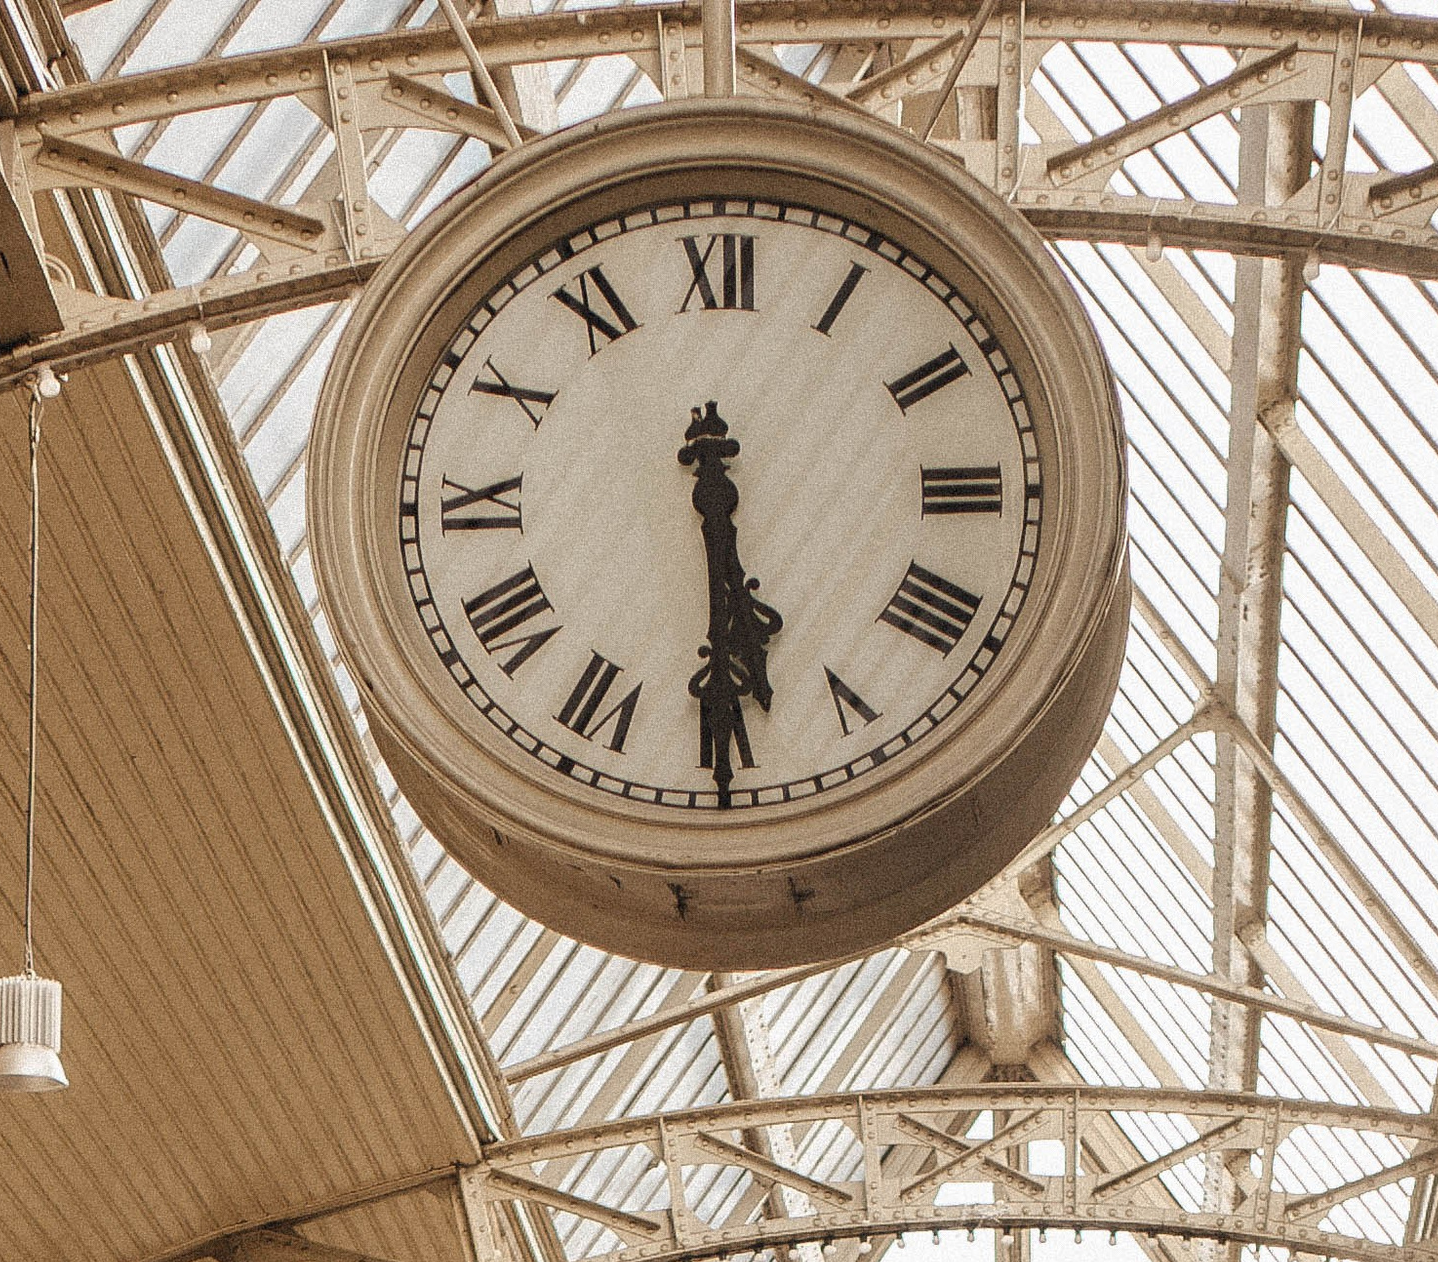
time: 5:29
